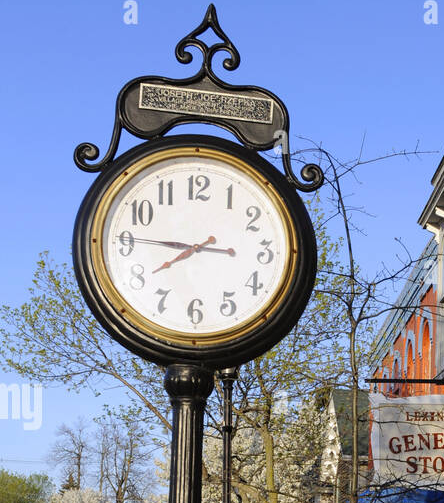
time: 7:45
